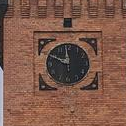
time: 11:49
